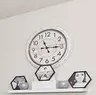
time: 11:15
